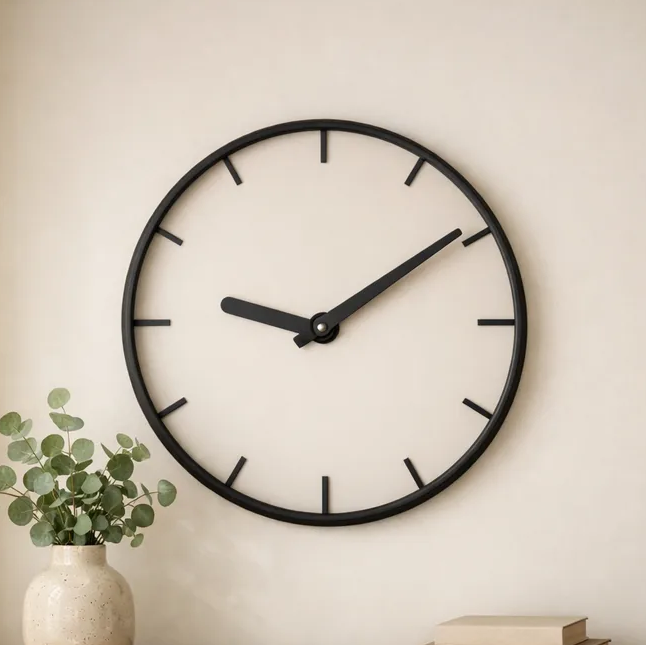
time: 9:09
